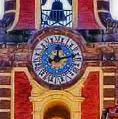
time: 12:12
